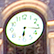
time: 6:16
